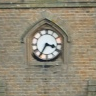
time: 3:35
